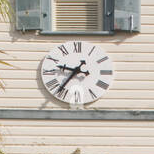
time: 9:36
